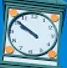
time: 9:51
